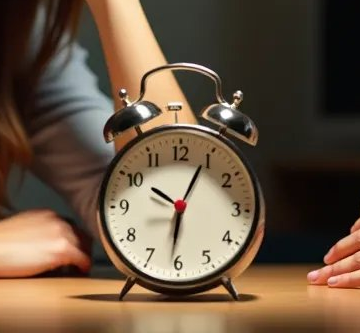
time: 10:04
